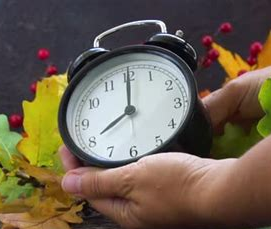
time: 8:00
